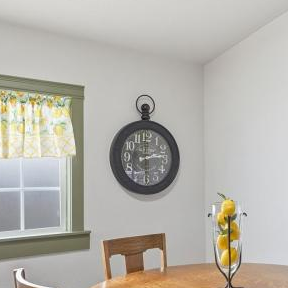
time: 2:29
